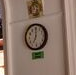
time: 7:00
